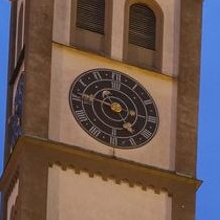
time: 4:46
